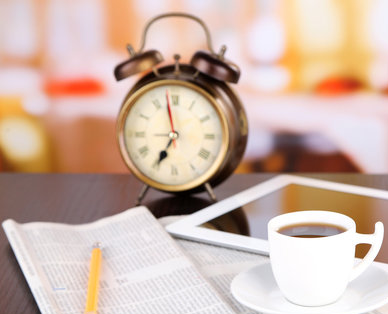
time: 6:58
